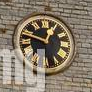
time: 12:47
